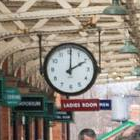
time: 2:00
